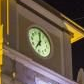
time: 7:00
